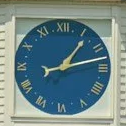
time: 1:12
